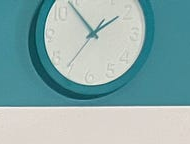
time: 1:53
